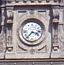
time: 3:36
